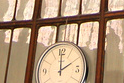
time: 2:00
